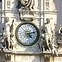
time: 4:12
